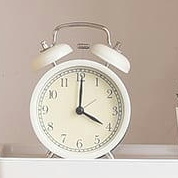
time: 4:00
